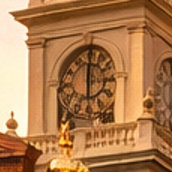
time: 6:00
